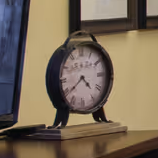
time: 4:37
